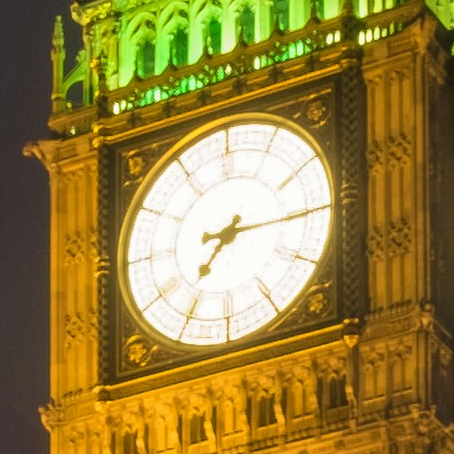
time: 7:15
